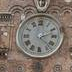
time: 2:22
